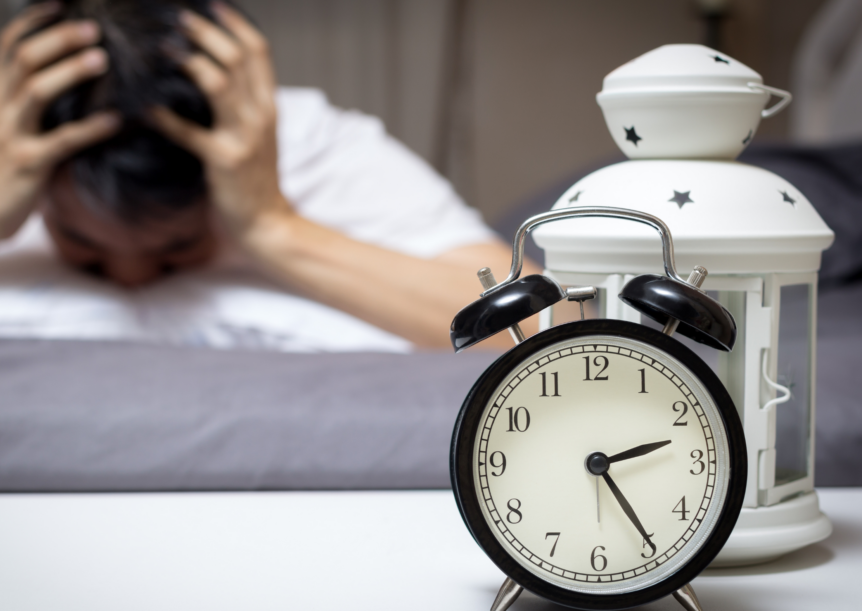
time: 2:24
